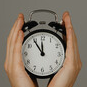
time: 11:54
